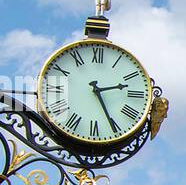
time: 2:25
